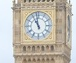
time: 10:58
